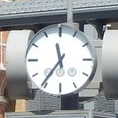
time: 11:35
